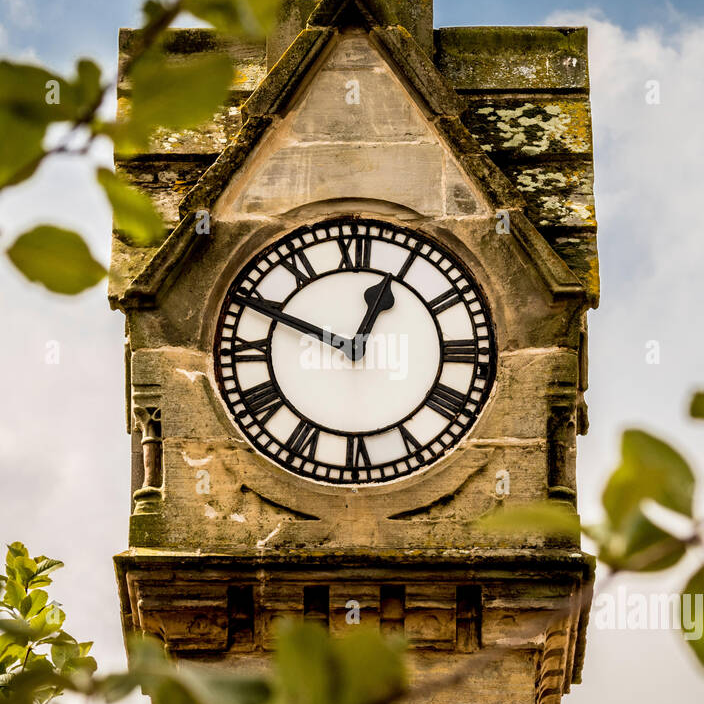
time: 12:49
